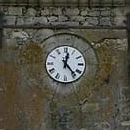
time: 12:23
